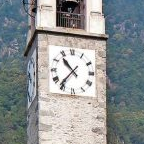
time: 10:36
